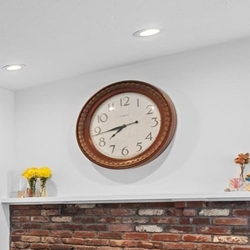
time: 7:43
